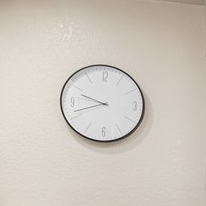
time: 9:41
